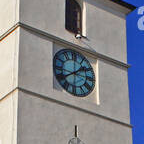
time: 1:39
